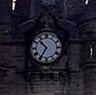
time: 10:35
